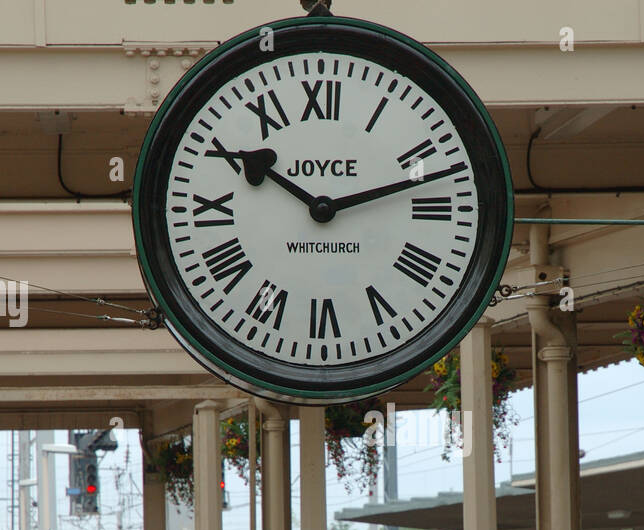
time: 10:12
